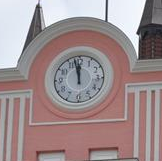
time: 11:57
